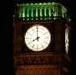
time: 7:59
